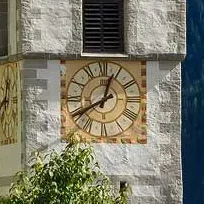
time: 12:40
